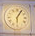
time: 6:05
